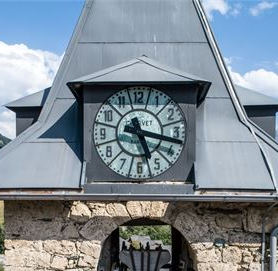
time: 5:17
